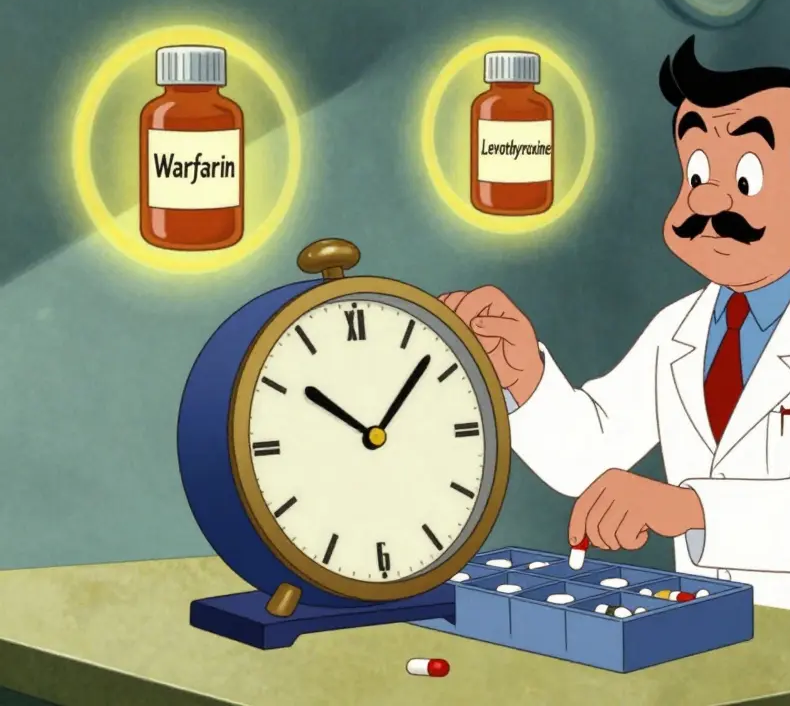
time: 10:07
